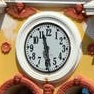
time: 11:28
